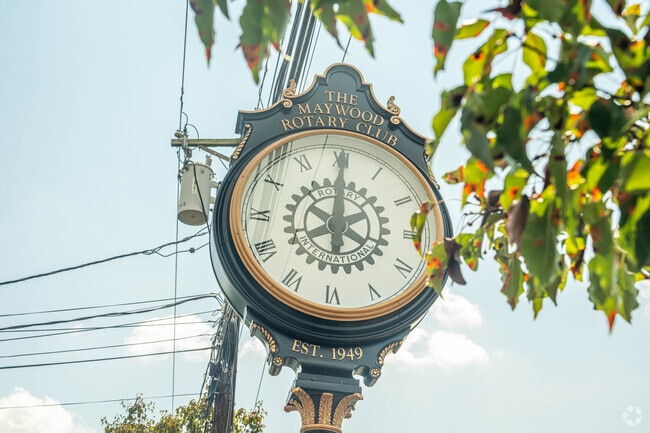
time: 8:00
